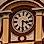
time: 3:30
